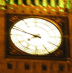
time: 7:48
